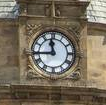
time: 11:44
